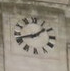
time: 1:42
